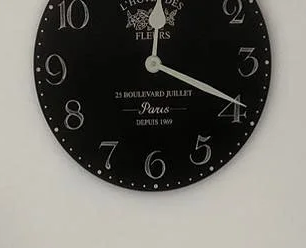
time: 12:19
